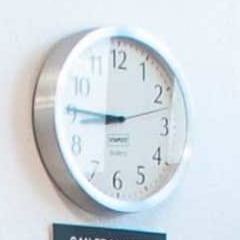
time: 8:45
